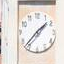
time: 1:37
